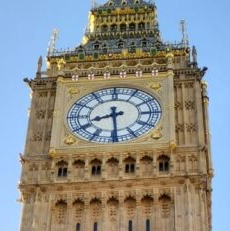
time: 8:29
